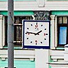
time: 1:46
